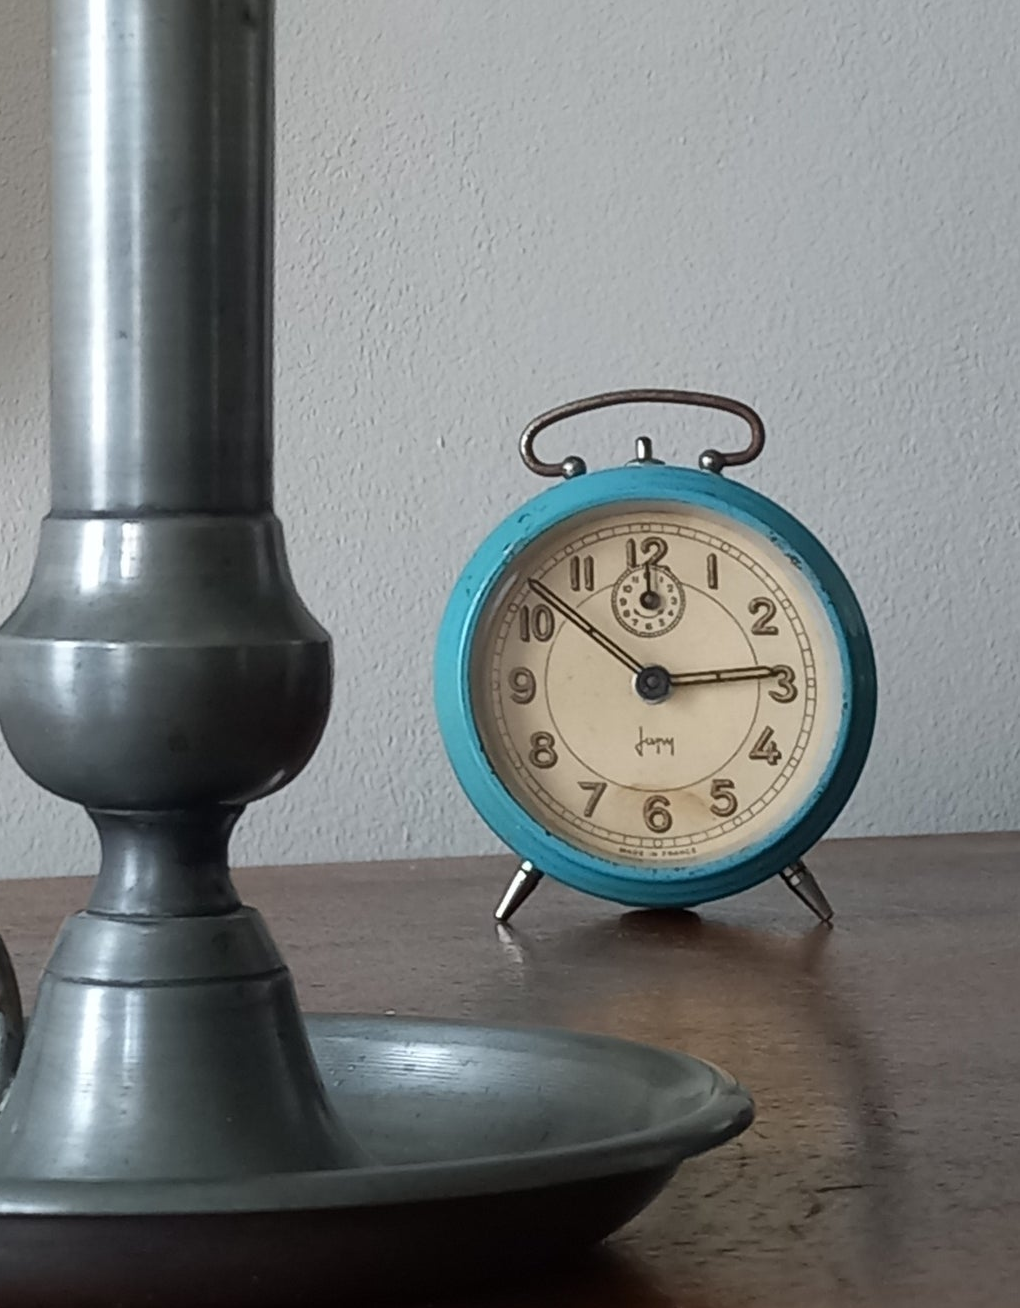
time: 2:51
